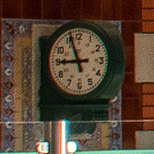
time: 8:56
